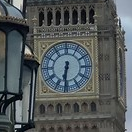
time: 6:31
